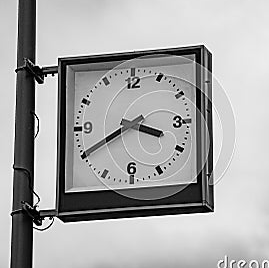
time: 3:40
